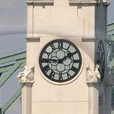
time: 1:45
